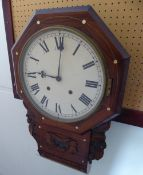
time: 9:00
